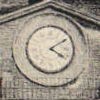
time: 4:09
